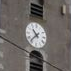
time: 10:37
